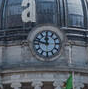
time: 11:47
